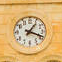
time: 1:18
